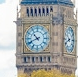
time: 10:41
